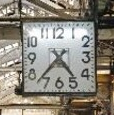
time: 4:37
